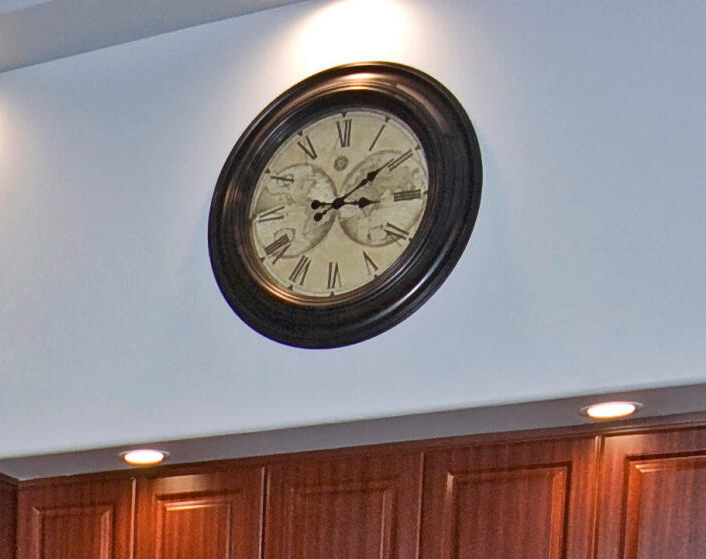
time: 3:09
